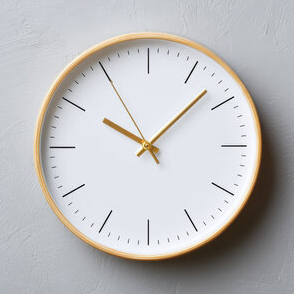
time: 10:07
